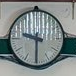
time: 9:30
